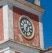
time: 1:32
